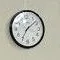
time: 7:08
